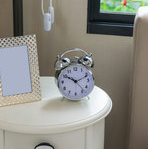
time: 10:11
